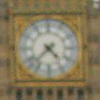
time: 4:37
